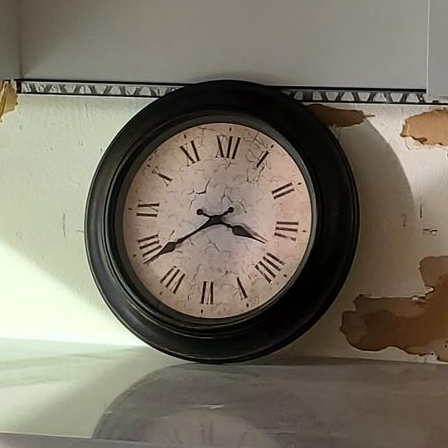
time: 3:38
